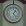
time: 1:23
